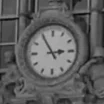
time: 2:54
